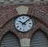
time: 10:07
